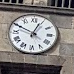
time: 12:49
